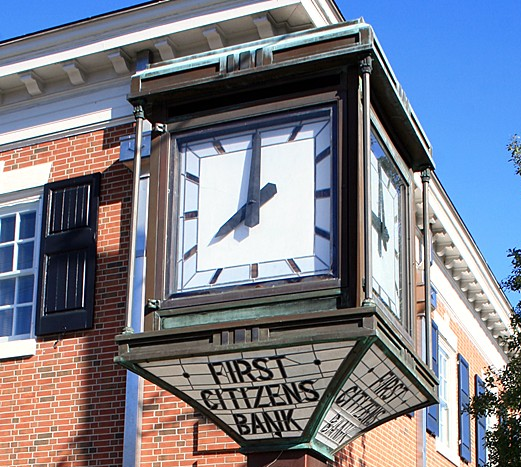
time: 8:00
